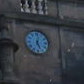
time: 5:01
